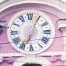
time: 7:04
